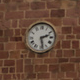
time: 2:28
